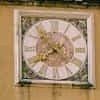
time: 7:52
